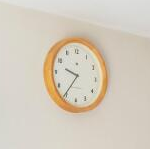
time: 9:35
